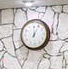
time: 12:04
